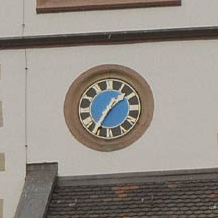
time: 1:34
